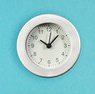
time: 10:07
